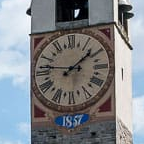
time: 1:46
